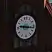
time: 9:16
